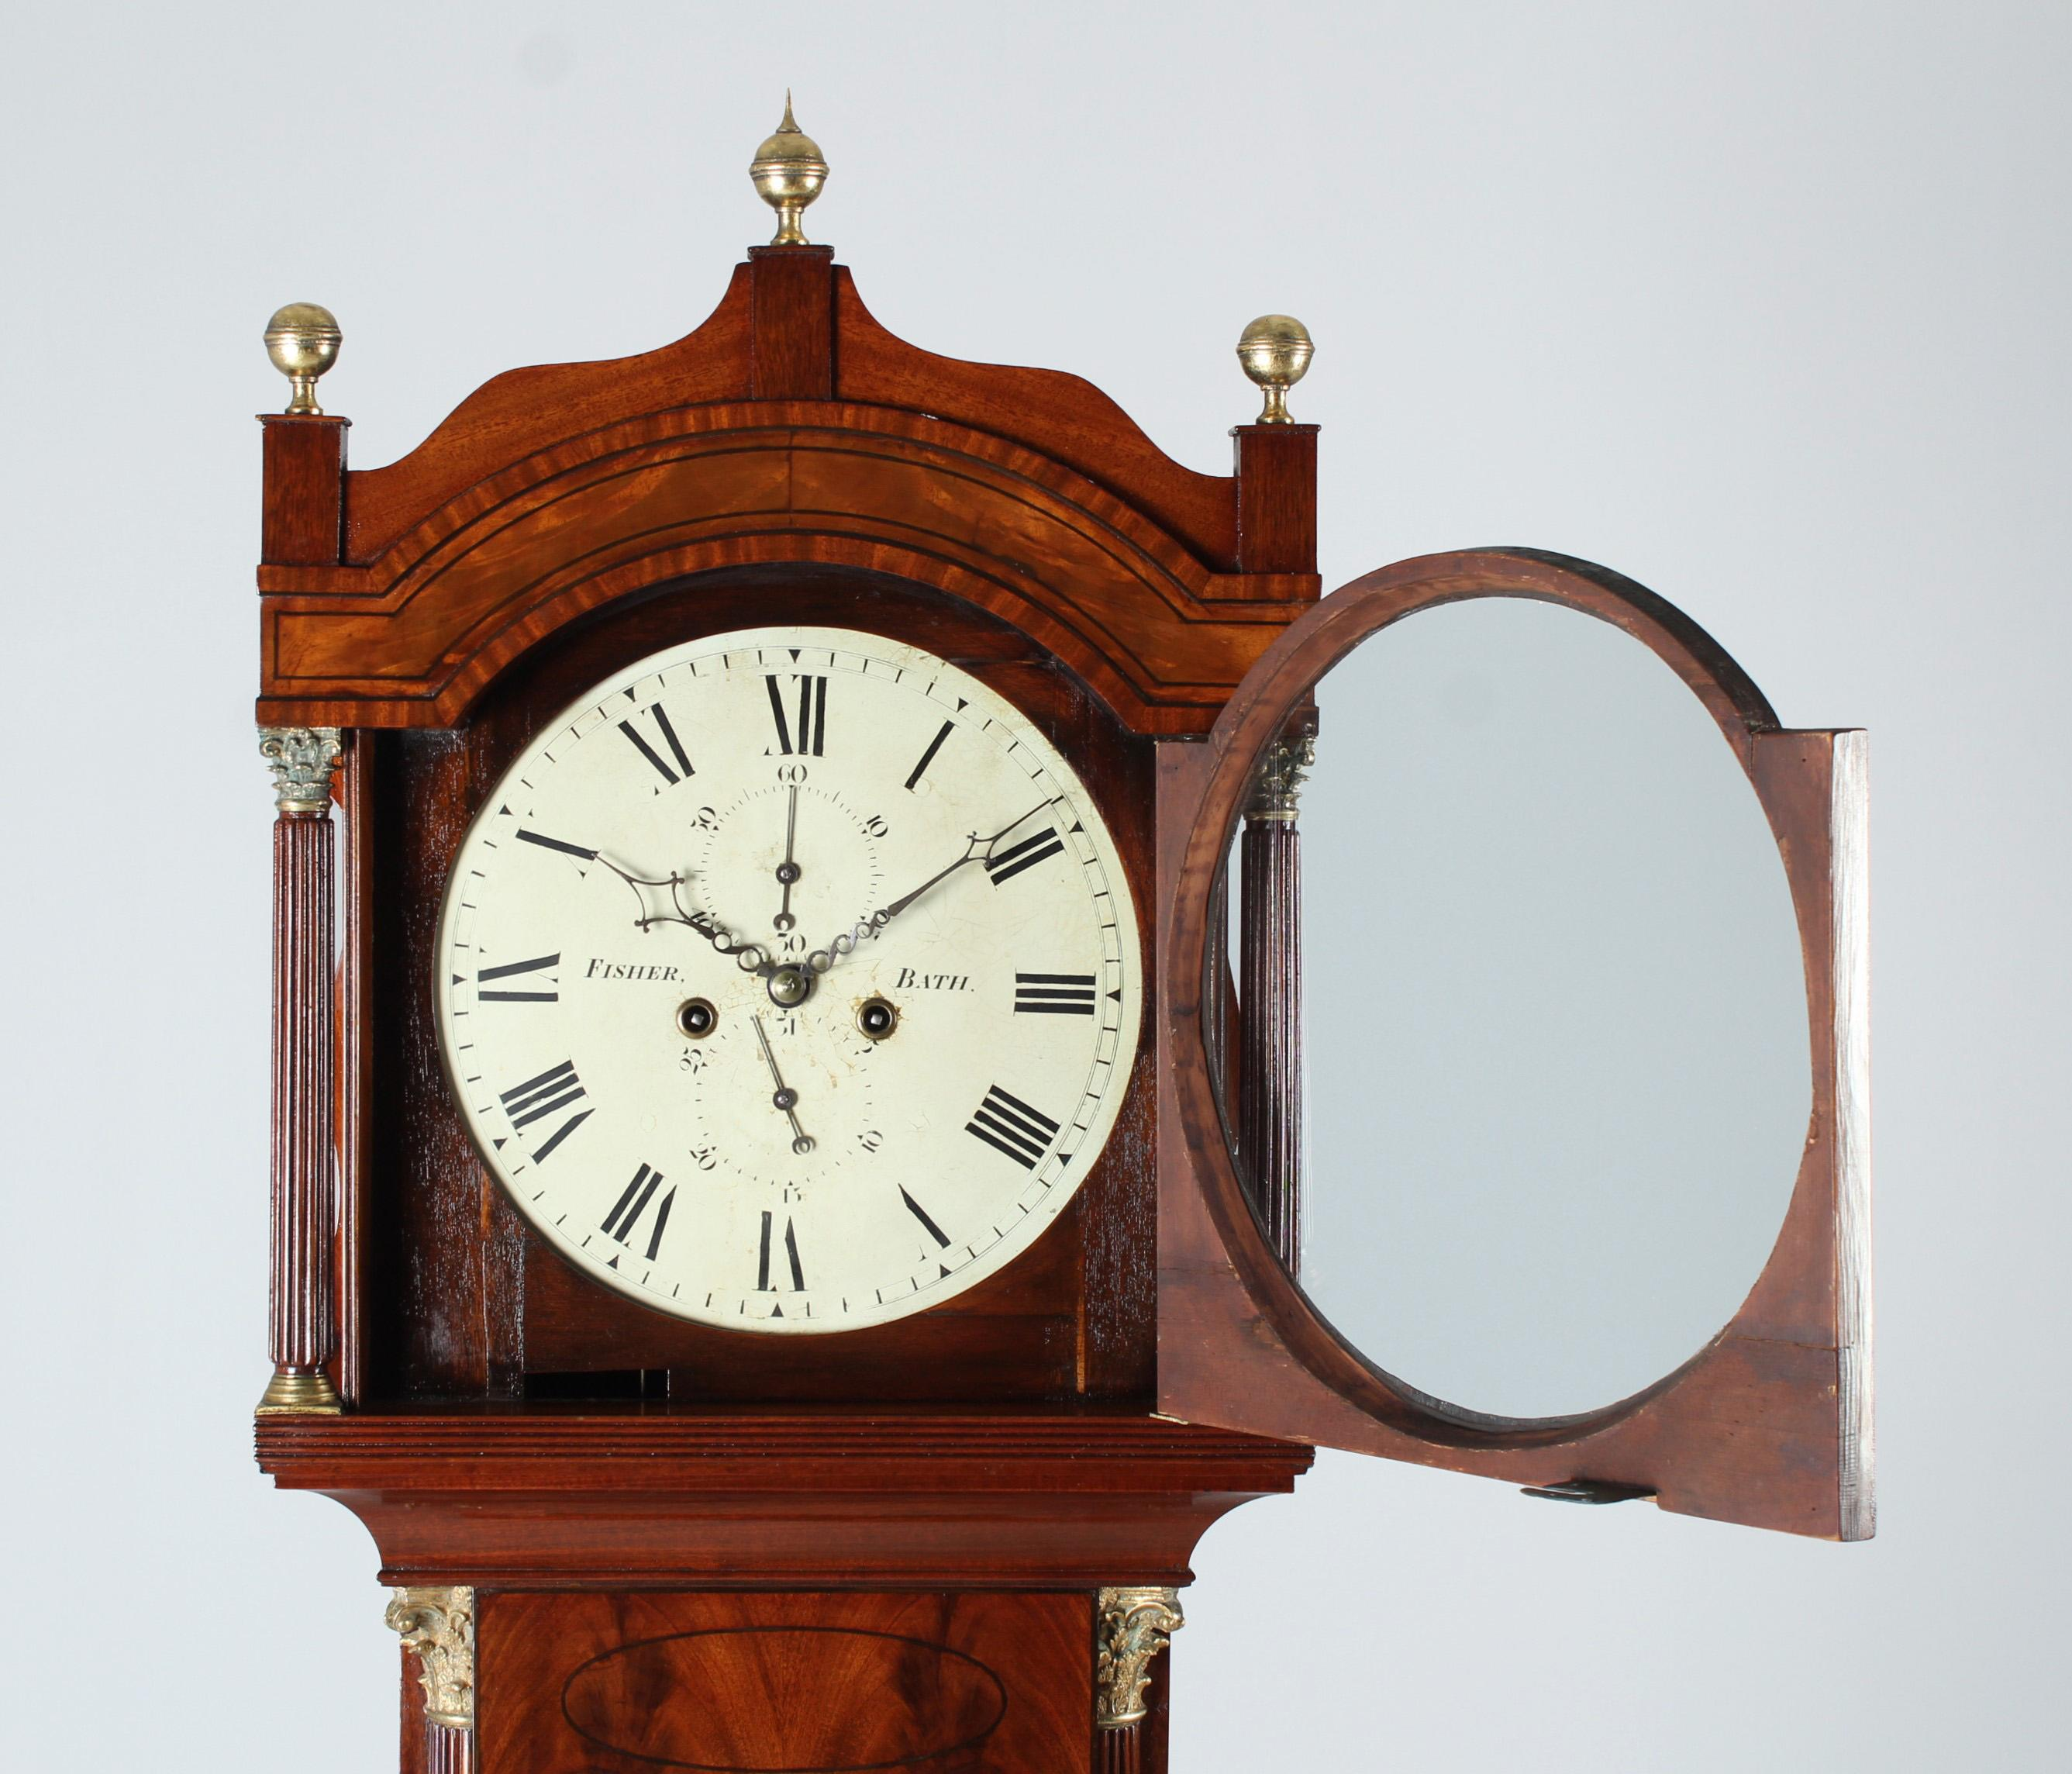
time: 3:09
